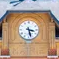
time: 3:27
